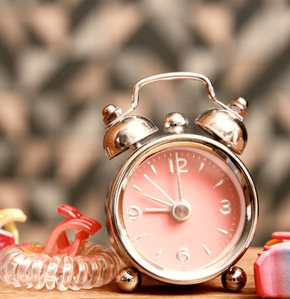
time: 8:53
